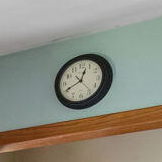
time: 12:40
